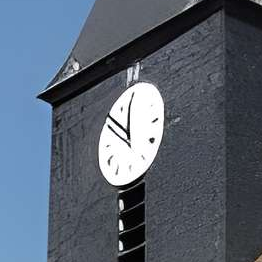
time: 11:51
